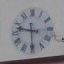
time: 9:30
